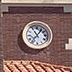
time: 11:06
